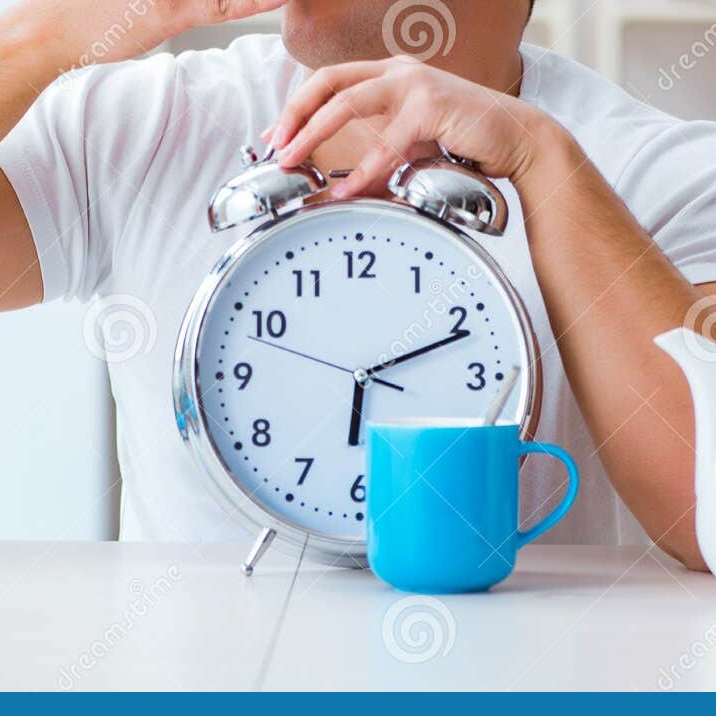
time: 6:11
